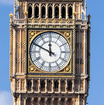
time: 11:49
